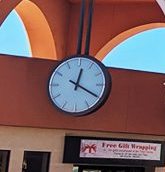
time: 12:19
